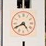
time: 4:40
